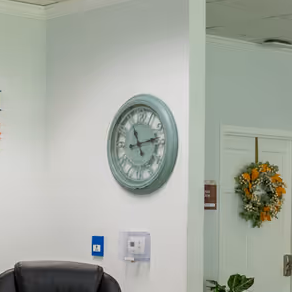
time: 11:12
